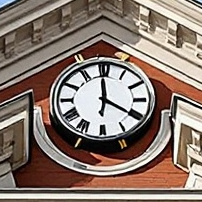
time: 3:59
